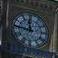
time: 11:46
